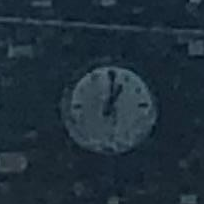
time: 1:01
